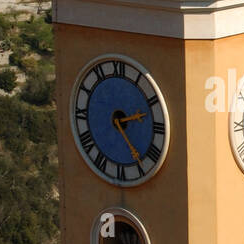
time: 2:24
